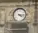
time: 4:16
